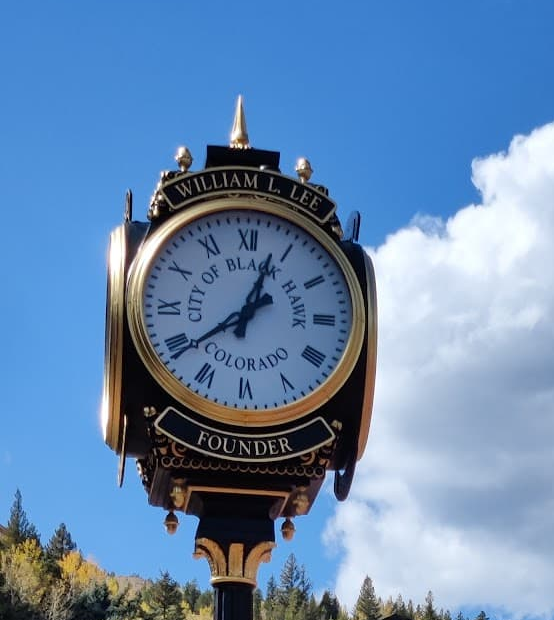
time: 12:38
